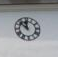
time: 11:52
